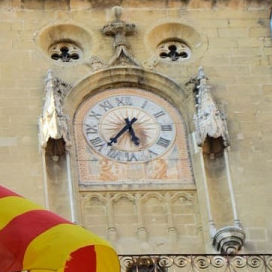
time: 5:37
